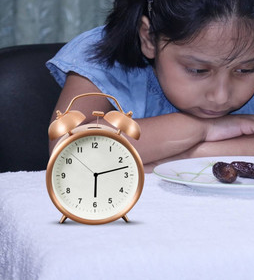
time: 6:12
